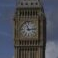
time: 11:13
